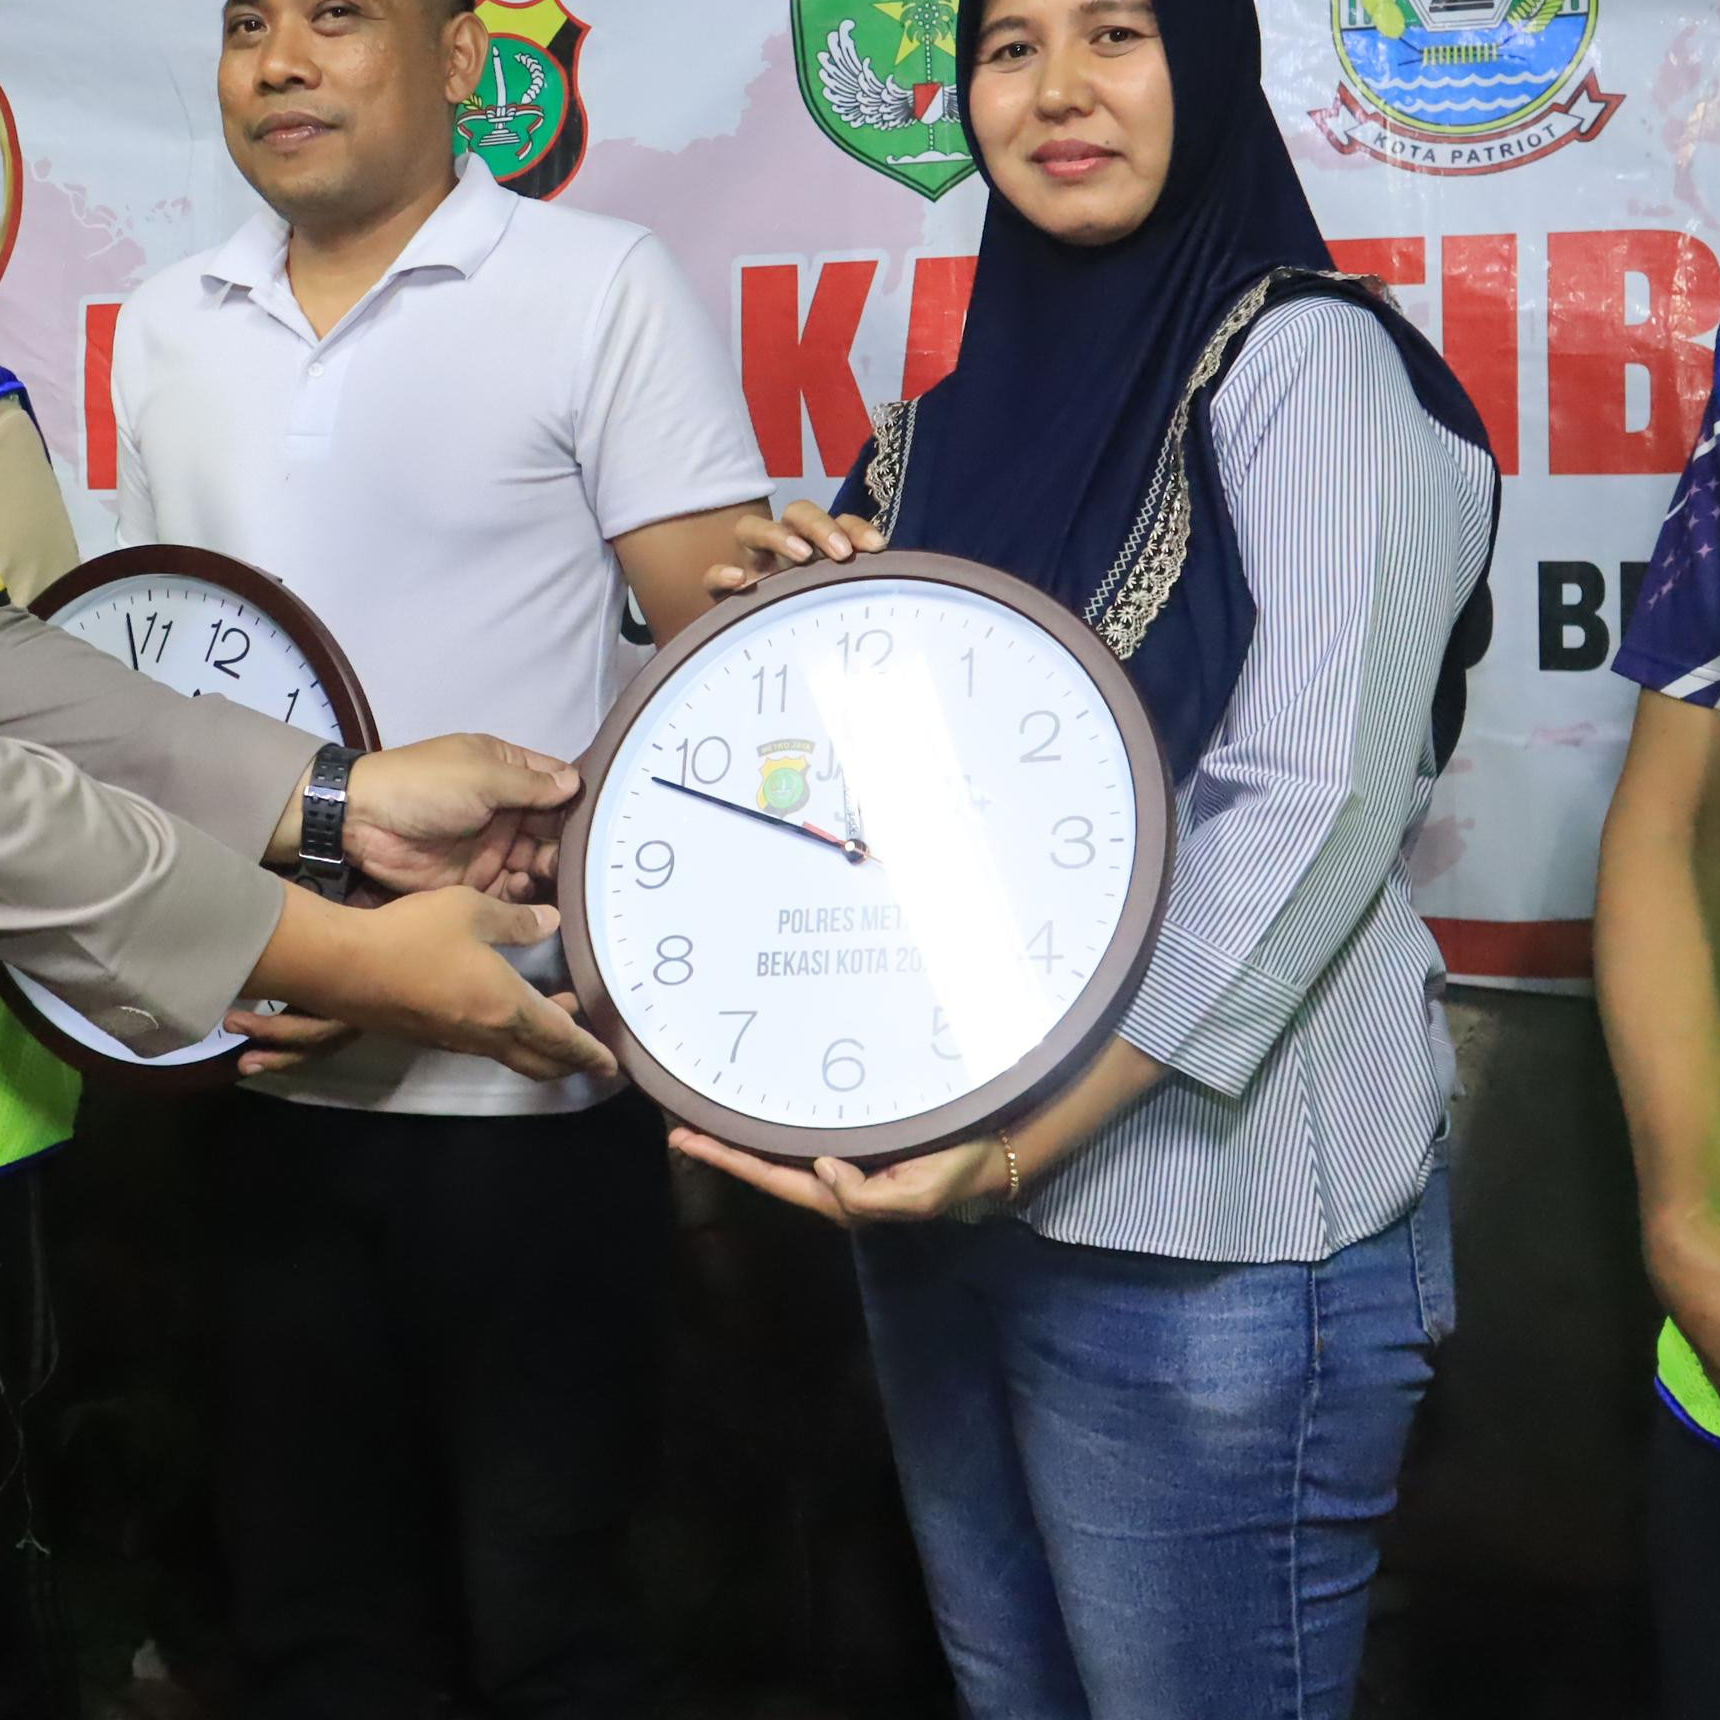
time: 9:48
